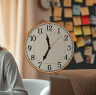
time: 11:34
